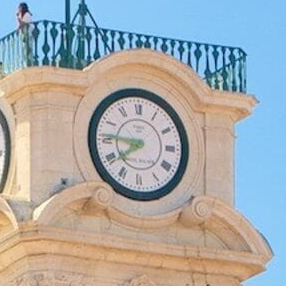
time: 7:46
